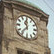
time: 11:36
